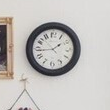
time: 1:43
